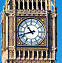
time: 10:42
